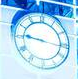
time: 9:16
